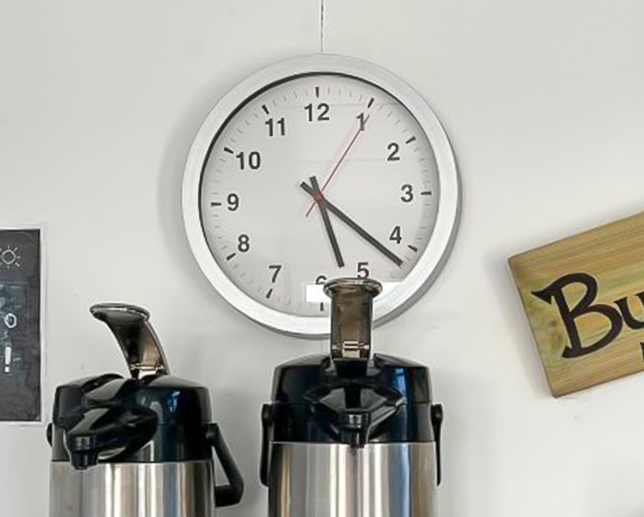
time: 5:21
